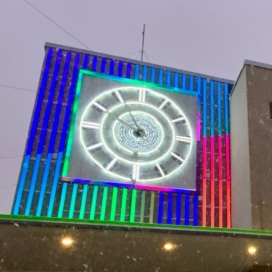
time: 9:55
